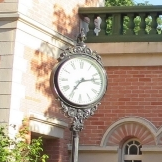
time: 7:12
